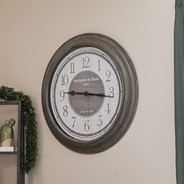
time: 9:16
